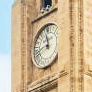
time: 11:40
